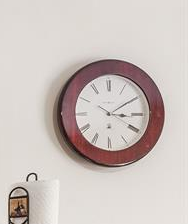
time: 3:09
